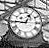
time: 12:45
